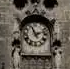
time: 11:12
